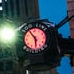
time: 5:54
